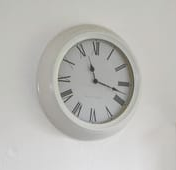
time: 11:17
